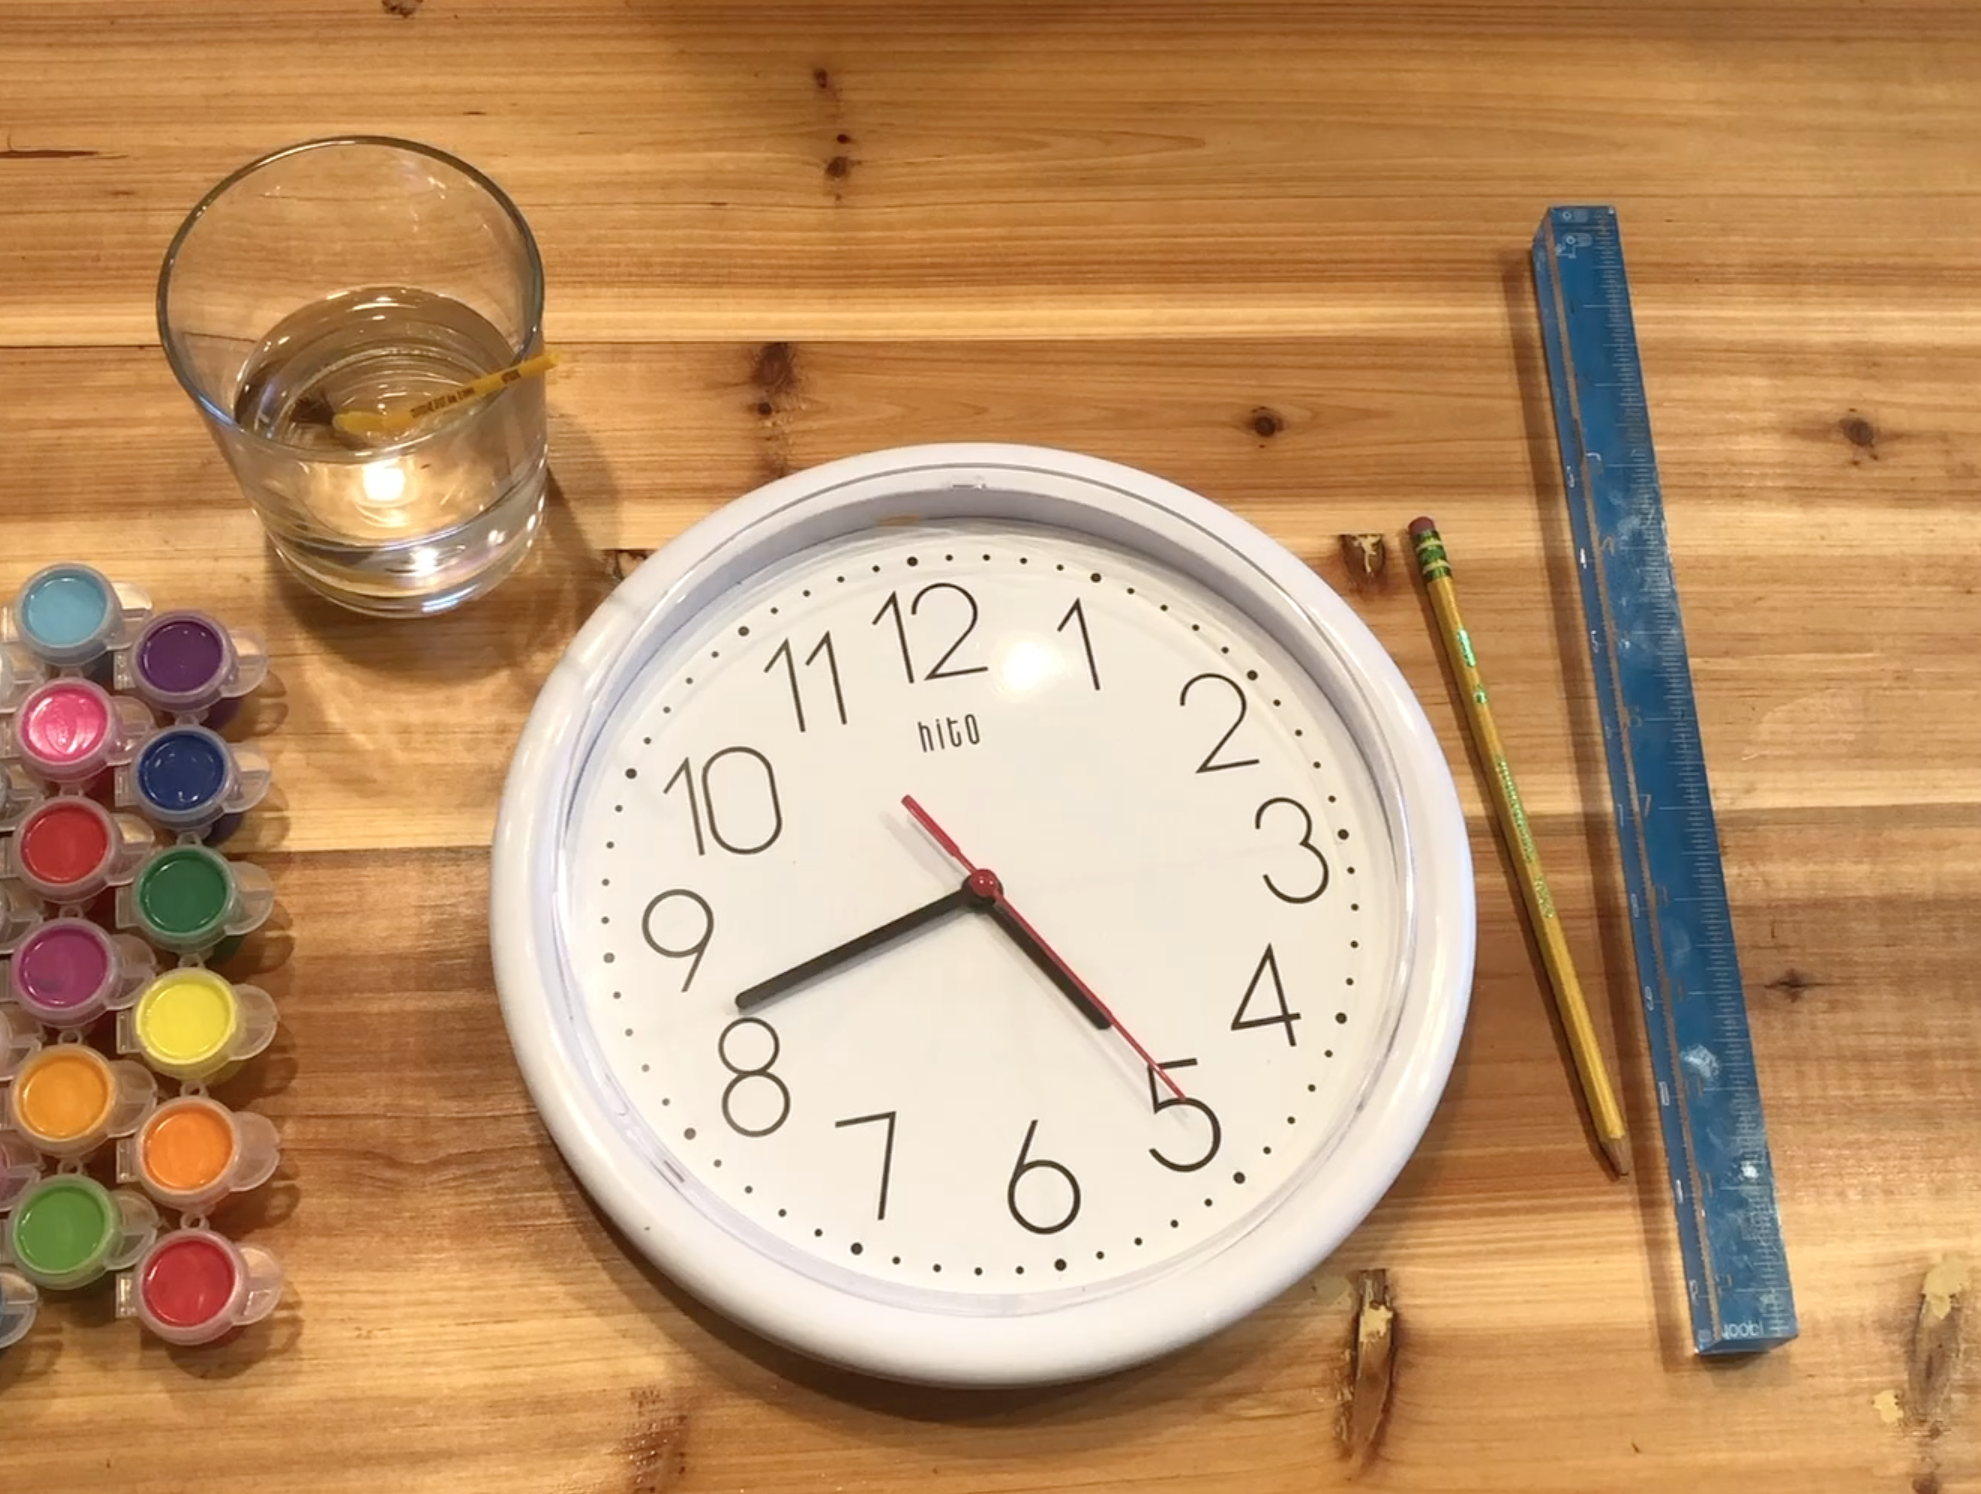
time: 4:42
